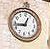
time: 12:43
